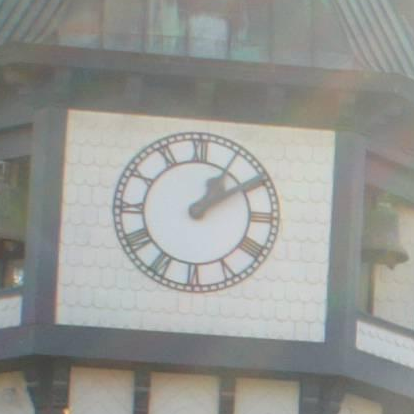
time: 1:09
